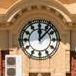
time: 12:07
